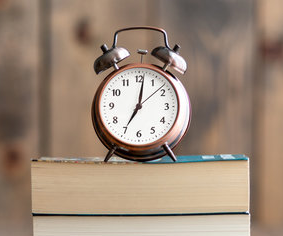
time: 7:01
